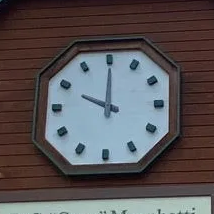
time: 10:00
